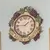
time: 1:44
